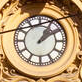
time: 1:09
